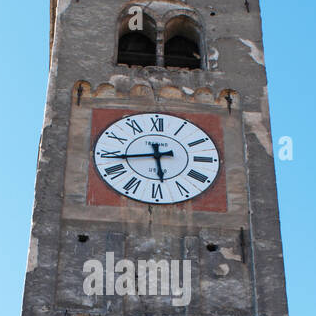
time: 5:43
